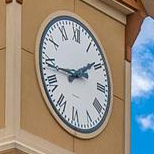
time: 1:43
